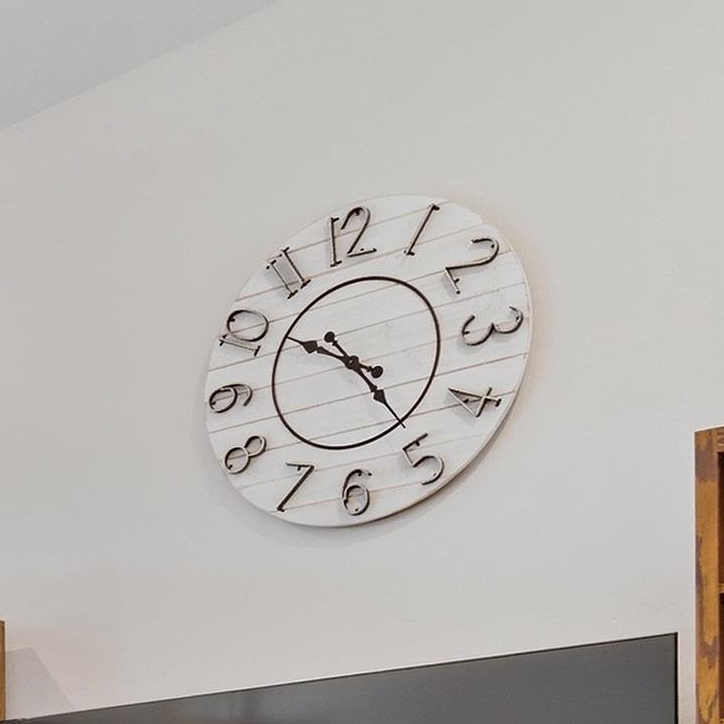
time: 10:24
